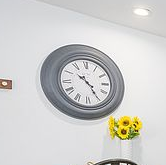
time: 10:24
